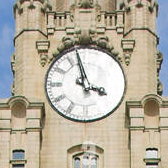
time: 3:58
